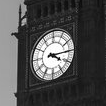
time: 4:14
